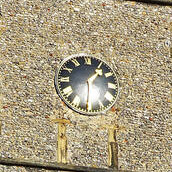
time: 1:31
